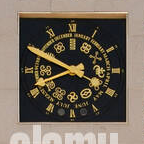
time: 3:49
